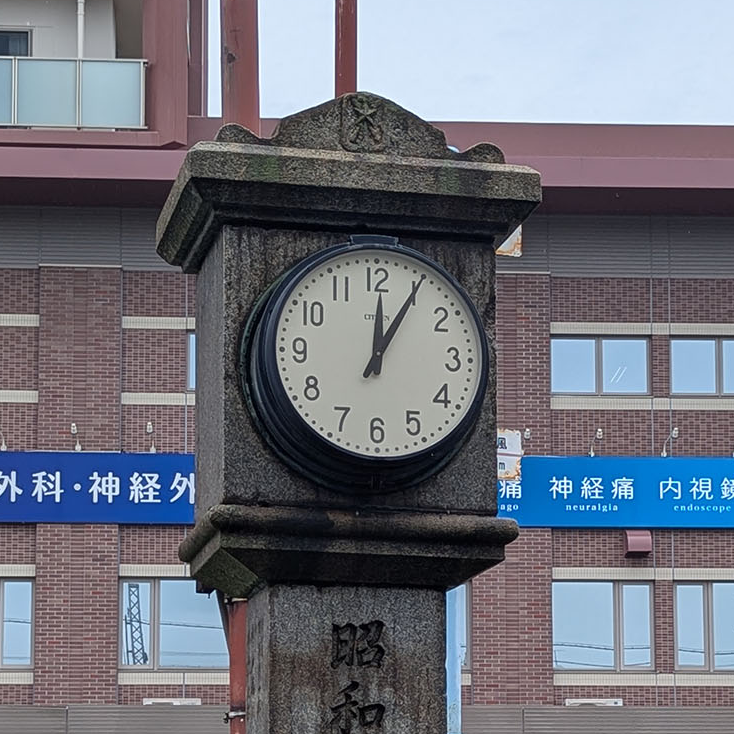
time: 12:05
